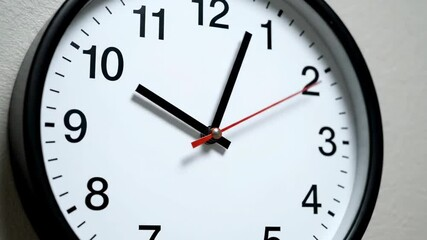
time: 10:03
